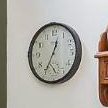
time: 12:34
